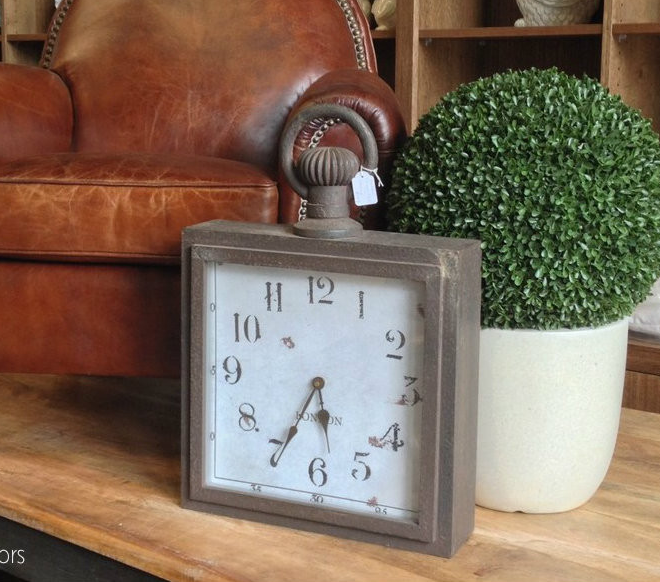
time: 5:34
